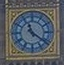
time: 11:21
